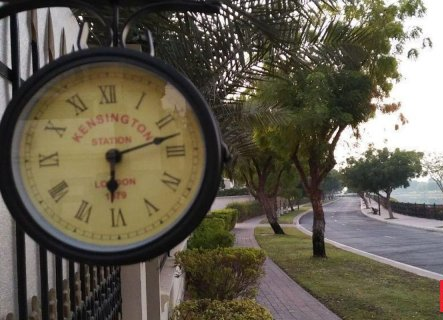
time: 6:12
